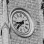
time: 8:38
